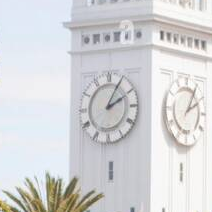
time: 2:04
